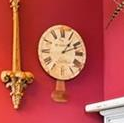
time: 1:11
